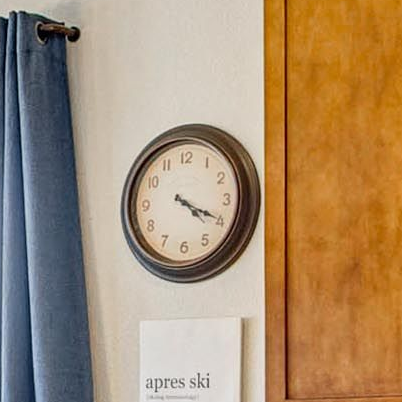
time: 4:19
